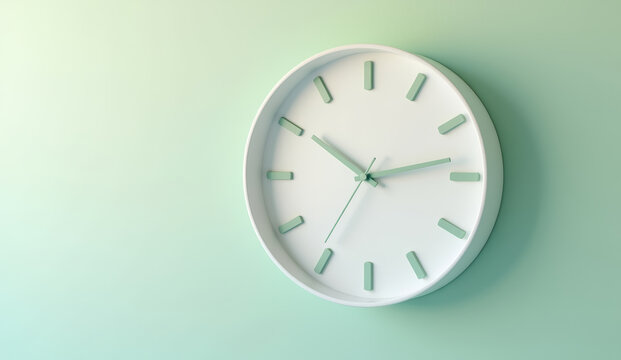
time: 10:13
